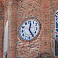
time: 12:24
